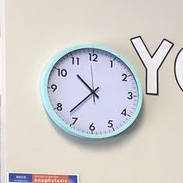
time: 10:37
